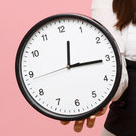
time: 12:15
